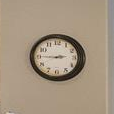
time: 2:45
